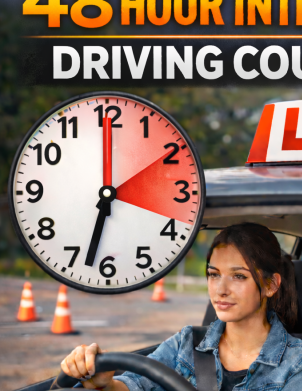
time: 6:32
